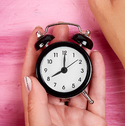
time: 8:00
